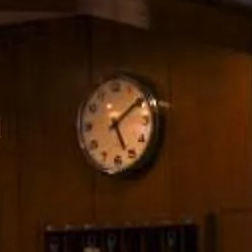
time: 5:09
